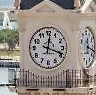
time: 12:18
